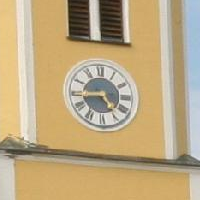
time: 4:44
